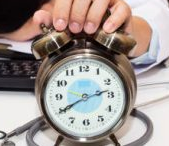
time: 2:40
